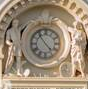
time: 4:54
